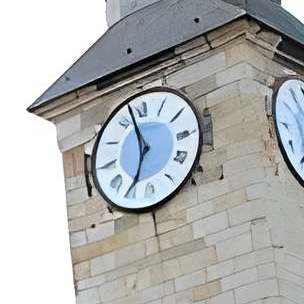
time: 6:57
